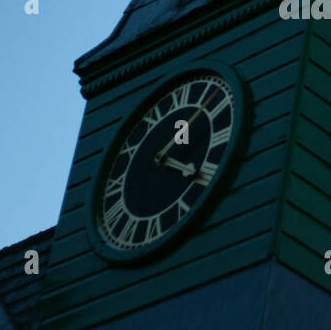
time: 1:20
